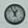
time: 12:55
